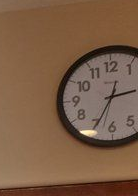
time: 2:34
